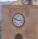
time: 2:48
